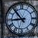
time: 8:53
